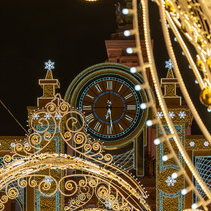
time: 6:29
